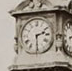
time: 2:29
